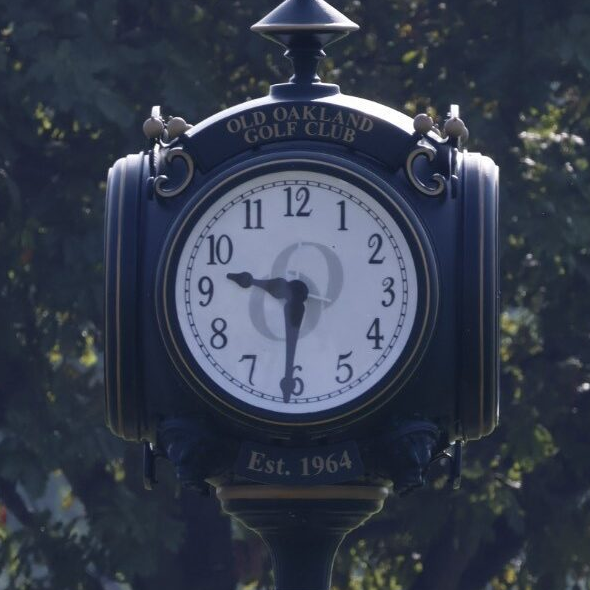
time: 9:31
